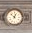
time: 12:52
